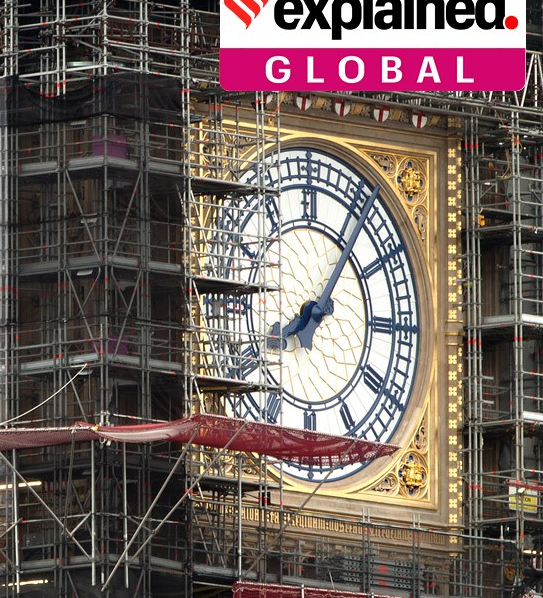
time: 8:06
